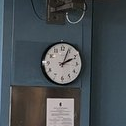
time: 2:03
